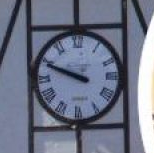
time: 9:48
